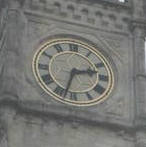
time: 2:33
